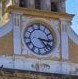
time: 3:23
